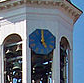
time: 4:59
